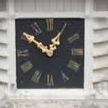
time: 12:50
